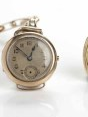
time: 12:52
